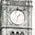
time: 1:32
